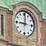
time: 9:01
